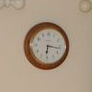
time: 6:16
